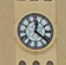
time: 12:21
